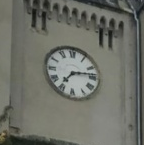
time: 7:13
